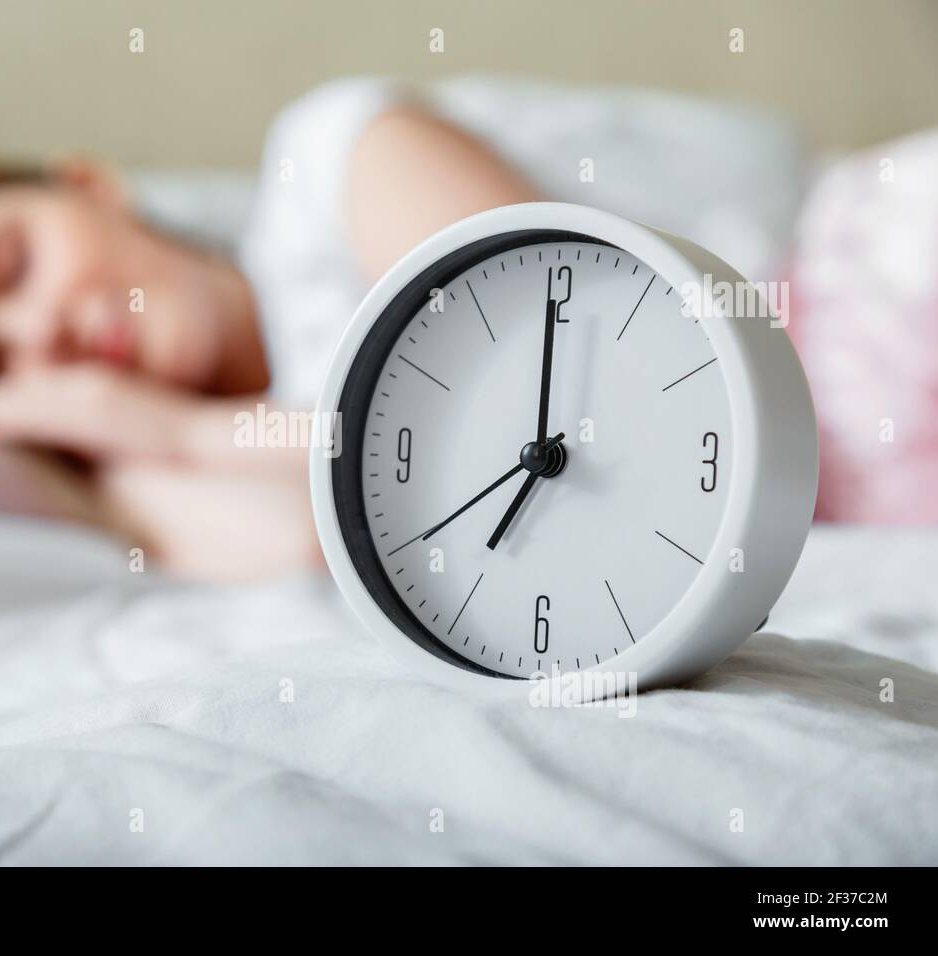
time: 7:00
